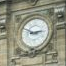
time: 2:48
